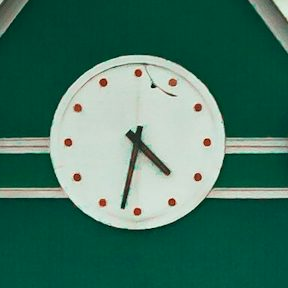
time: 4:32
